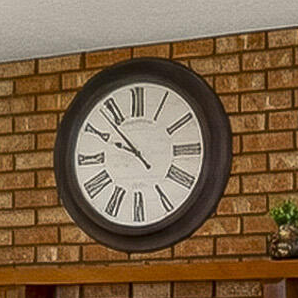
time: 9:53
